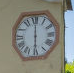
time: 6:00
